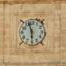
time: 5:57
